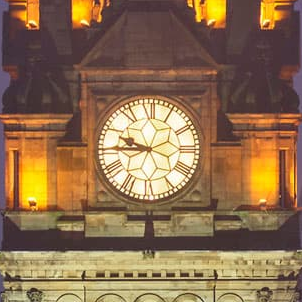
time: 9:44
